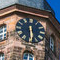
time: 5:29
